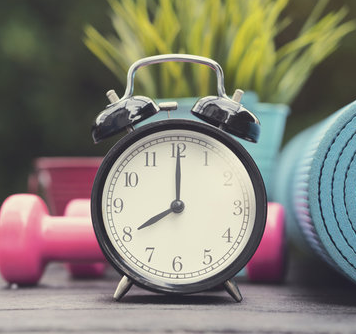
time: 8:00
